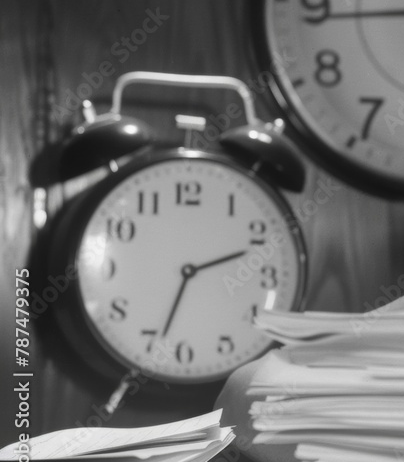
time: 2:33
